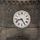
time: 8:24
